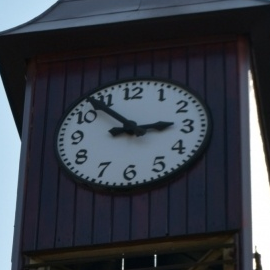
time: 2:53
